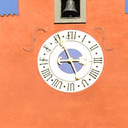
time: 8:55
